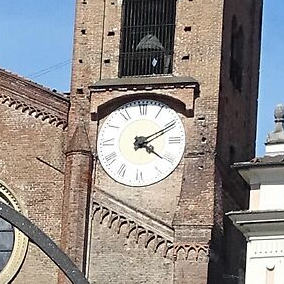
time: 4:10
